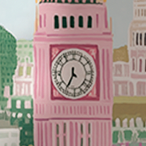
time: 11:35
